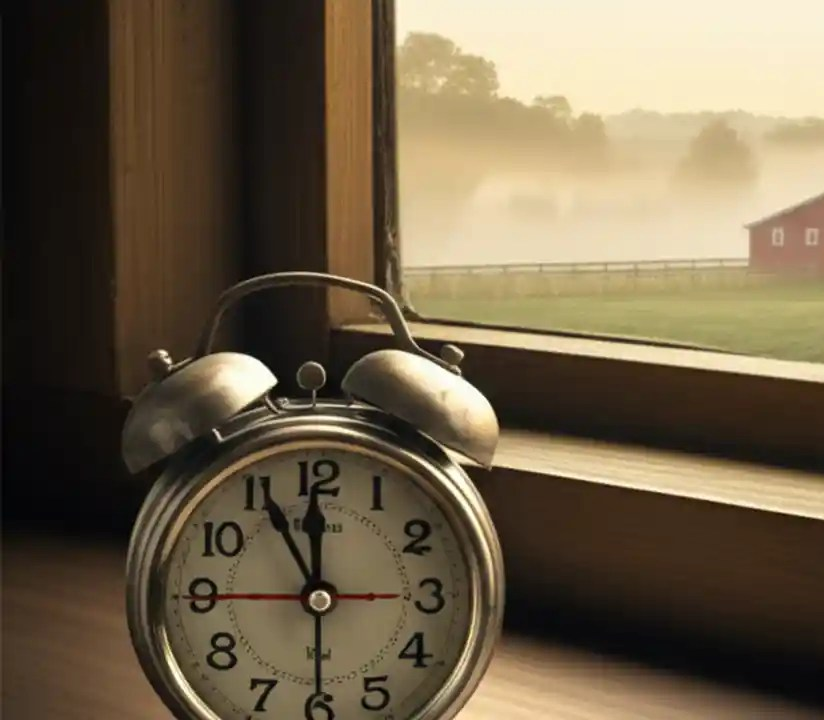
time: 11:55
